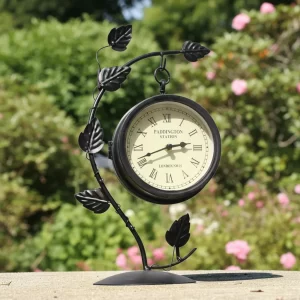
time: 2:40
